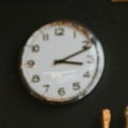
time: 3:11
